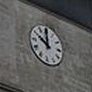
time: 9:59
